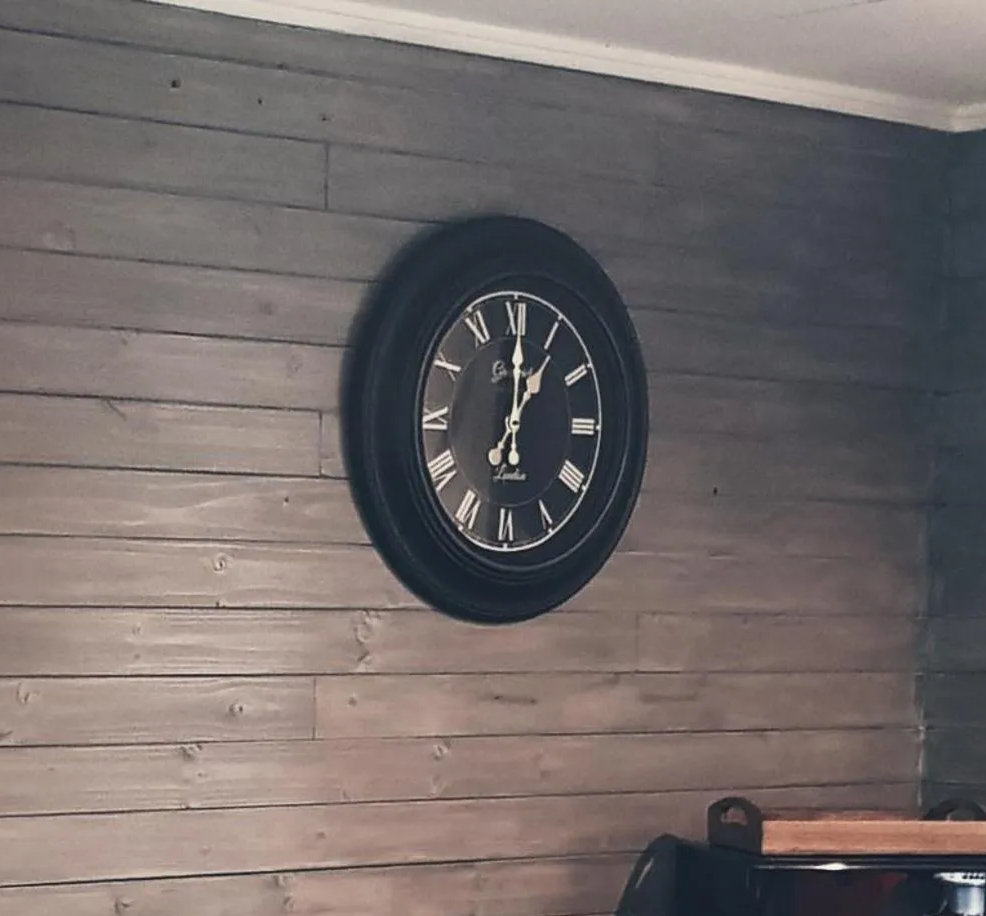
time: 1:00
